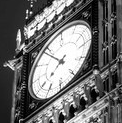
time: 7:53
